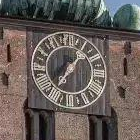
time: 7:06
